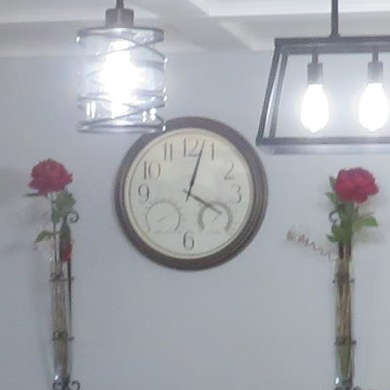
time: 4:02
